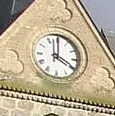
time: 4:00
